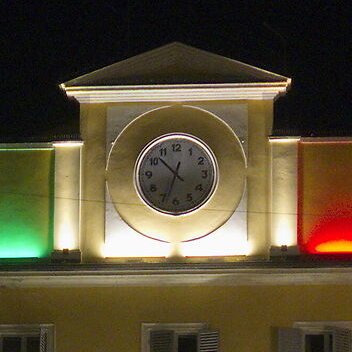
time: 10:33
